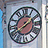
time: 1:39
